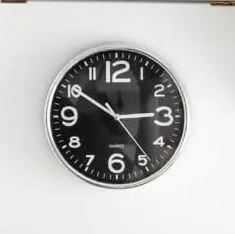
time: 2:50
